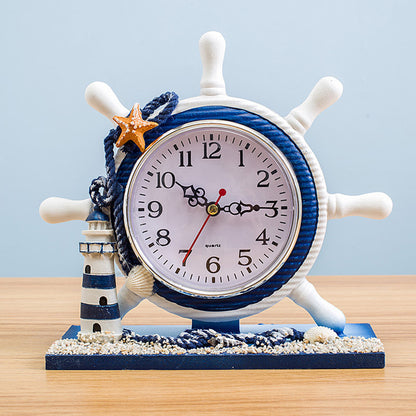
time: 10:14
